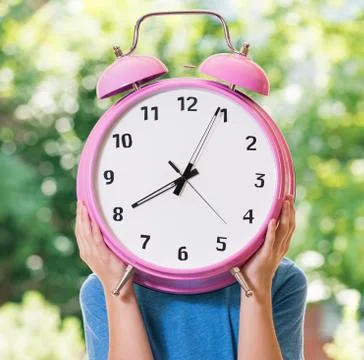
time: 8:04
